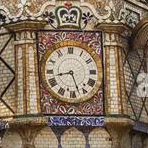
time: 8:27
